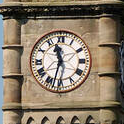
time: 11:32
